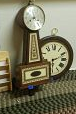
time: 2:29
